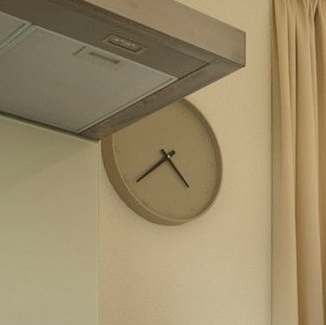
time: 4:39
